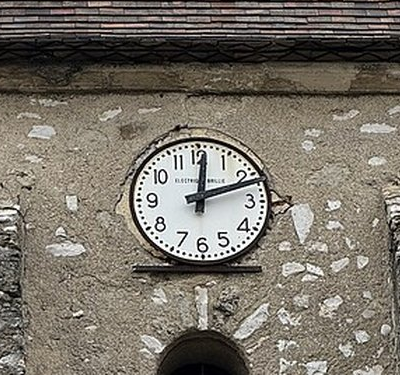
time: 12:11
